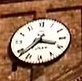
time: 3:37
